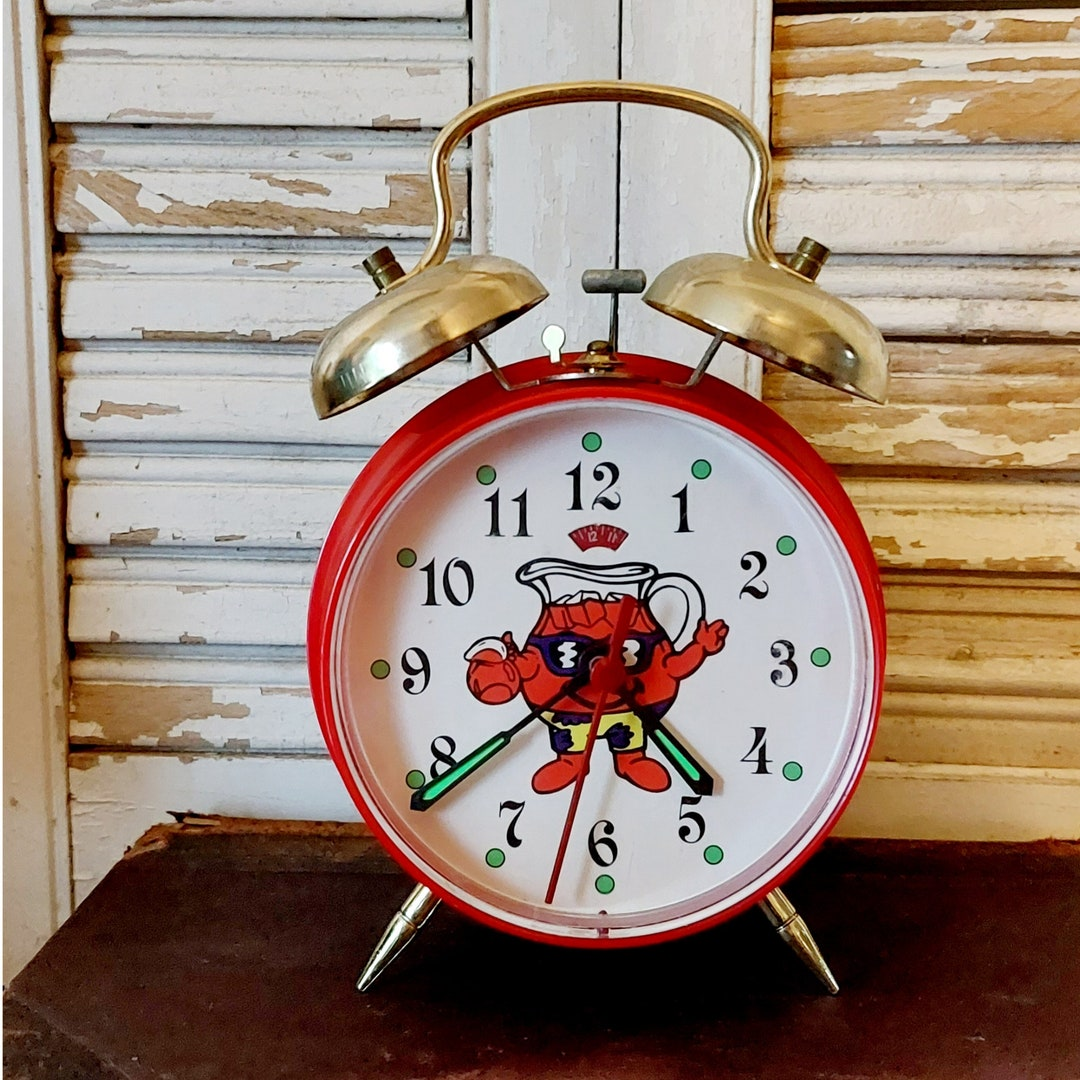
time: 4:38
